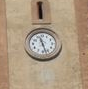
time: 11:27
